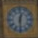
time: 12:30
